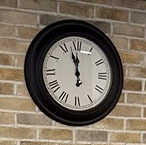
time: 11:57
